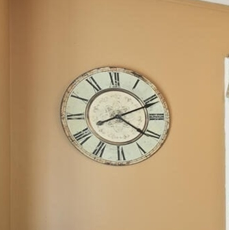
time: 4:11
